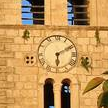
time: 6:10
